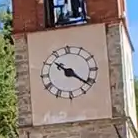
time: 10:21
